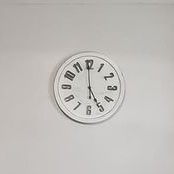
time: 4:59
